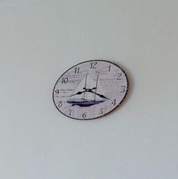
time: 8:20
